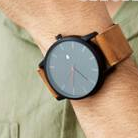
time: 4:20
